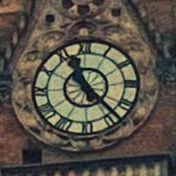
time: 11:23
